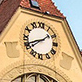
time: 1:41
